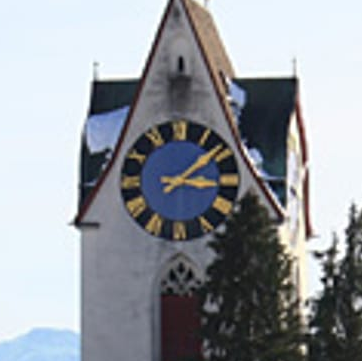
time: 3:08
